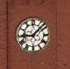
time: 9:07
